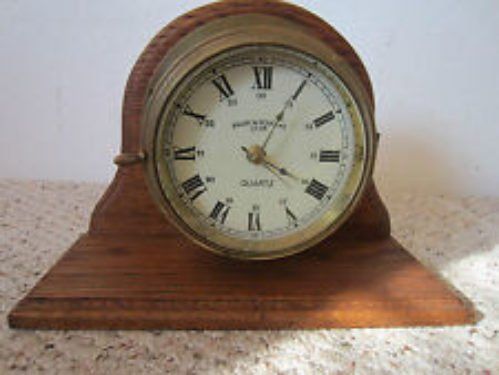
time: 4:04
